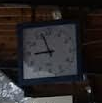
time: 8:56
